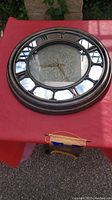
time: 8:24
